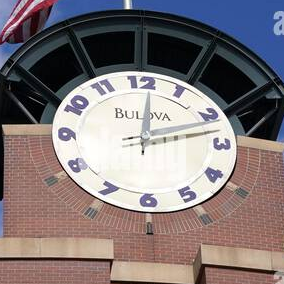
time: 12:12
